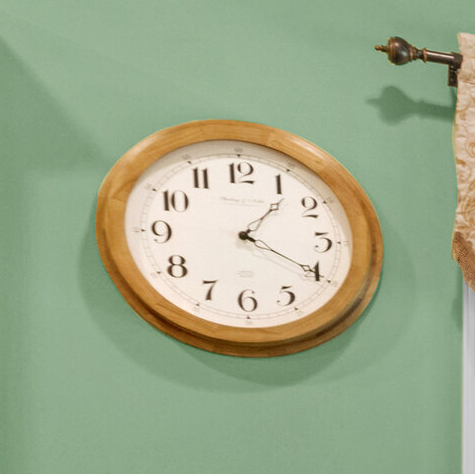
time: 1:19
